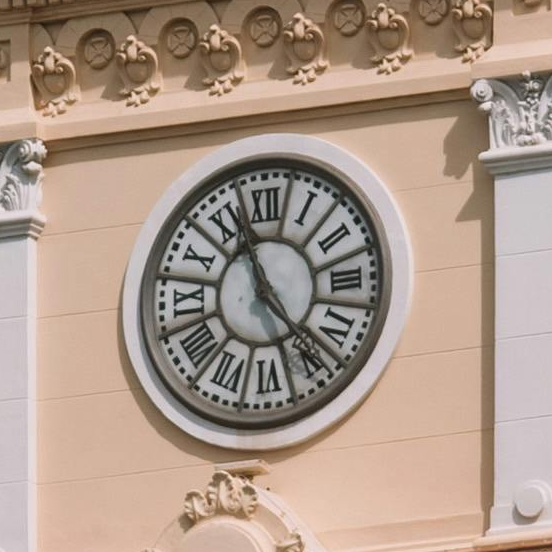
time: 11:23
